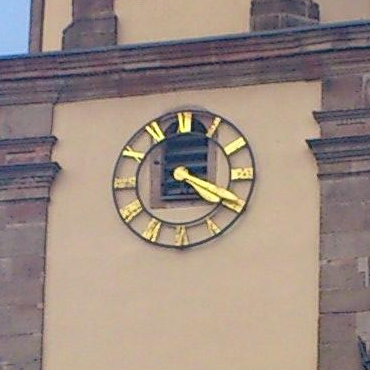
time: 4:19
